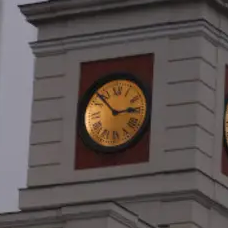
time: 2:52
